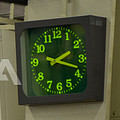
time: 2:18
